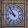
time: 9:54
